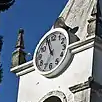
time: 10:56
